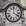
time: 4:00
